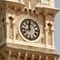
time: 11:42
